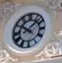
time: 10:07
